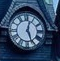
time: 12:26
